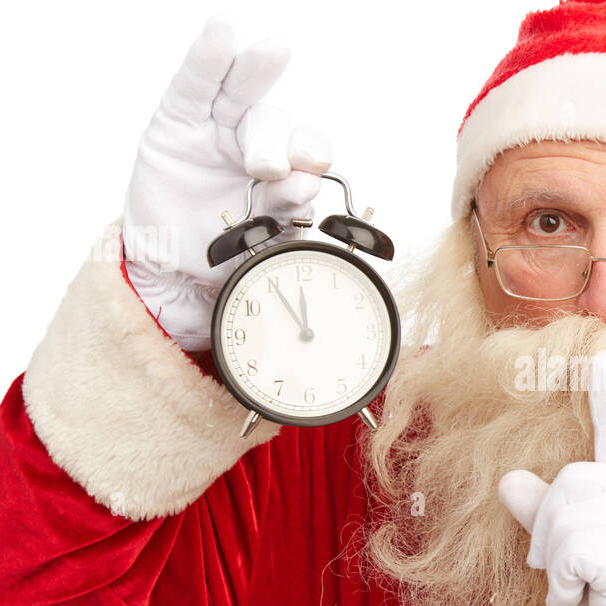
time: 11:54
